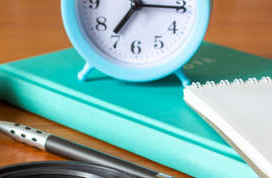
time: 7:15
